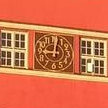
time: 9:01
